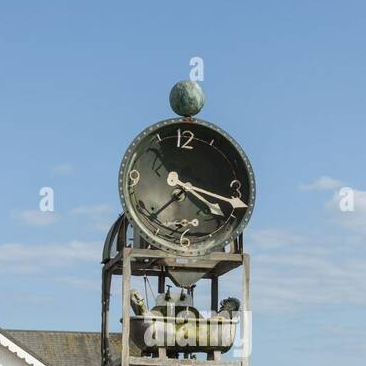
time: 4:17
